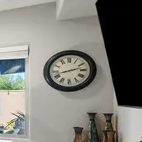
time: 2:42
